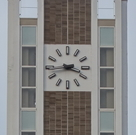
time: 3:43
